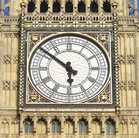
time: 5:51
